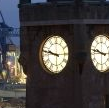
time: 9:47
